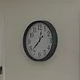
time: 12:37
